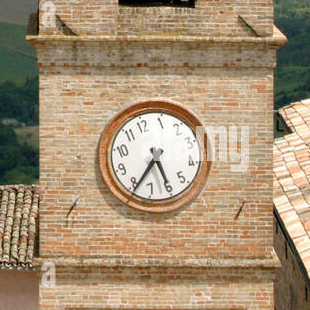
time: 5:38
